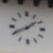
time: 1:40
